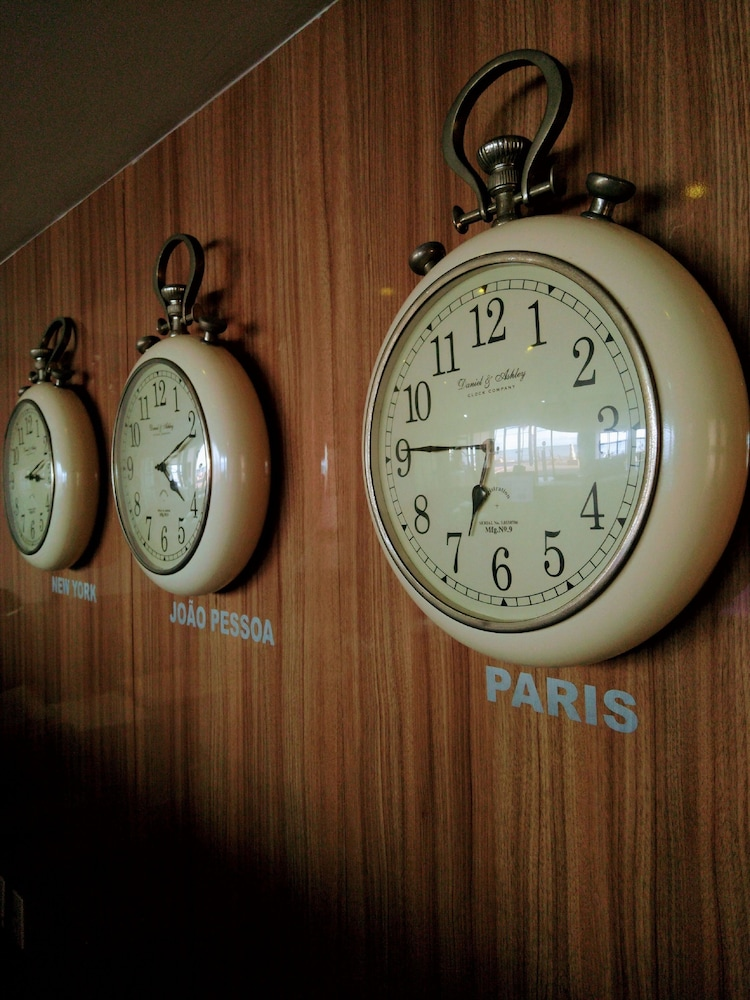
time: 6:45
